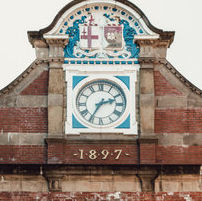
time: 2:35
